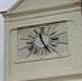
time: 11:25
